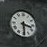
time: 3:29
